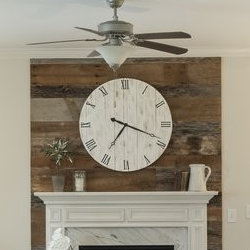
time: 7:18
